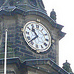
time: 10:37
